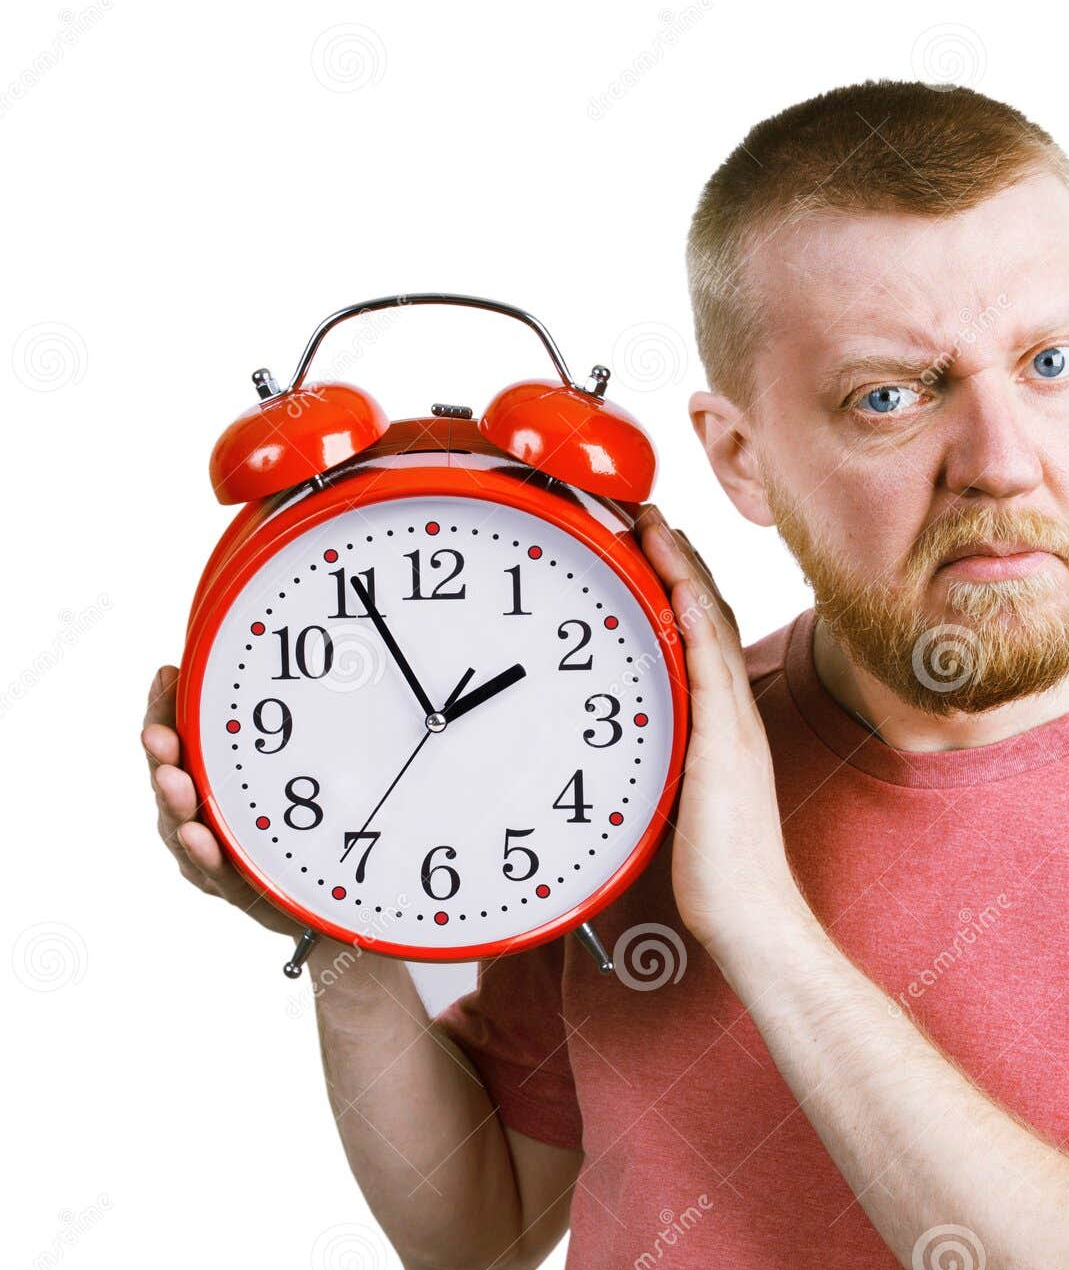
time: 1:55
